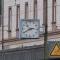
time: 2:40
